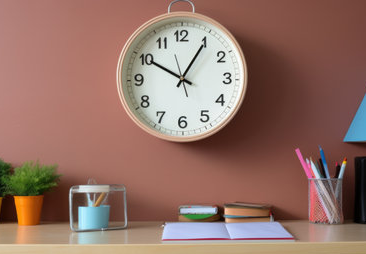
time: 10:05
